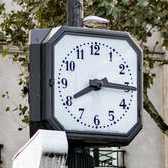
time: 8:15
